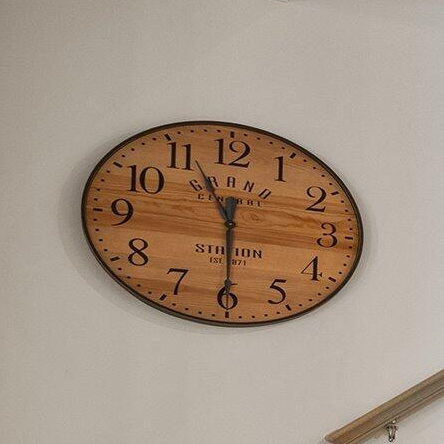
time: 11:30
